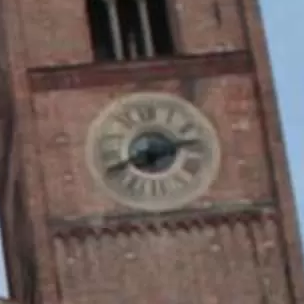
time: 2:40
